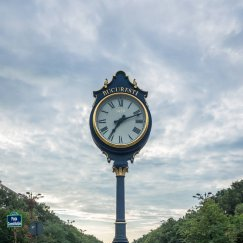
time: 7:11
